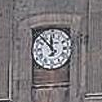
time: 11:52
